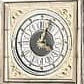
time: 4:03
